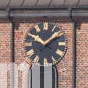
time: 10:07
